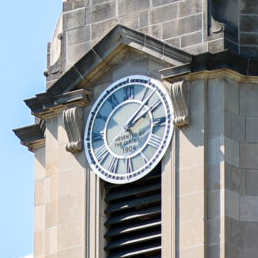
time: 2:07
